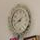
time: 8:40
